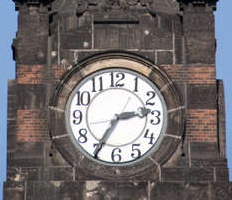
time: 2:35
